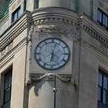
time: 6:02
